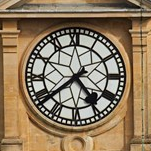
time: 4:38
